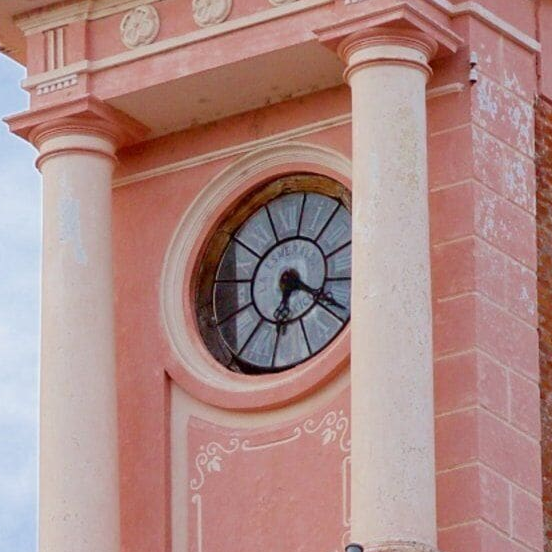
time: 6:18
